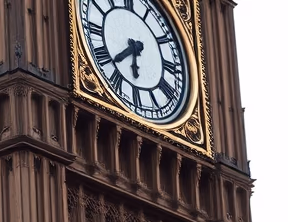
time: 6:38
